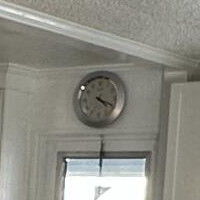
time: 4:19
